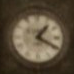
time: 1:19
